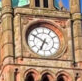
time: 6:49
